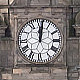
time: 12:01
